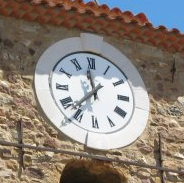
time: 11:36
